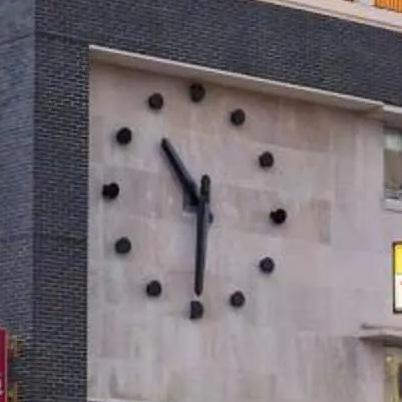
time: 10:30
